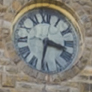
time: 3:32
